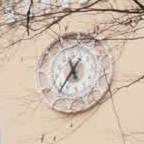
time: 5:35
